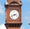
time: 2:40
